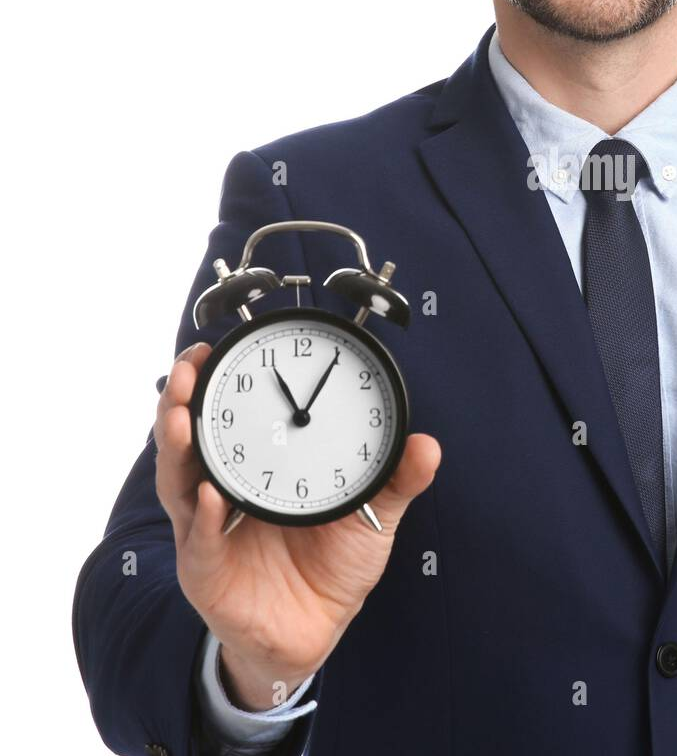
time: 11:05
